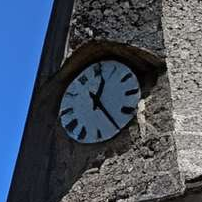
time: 12:24
